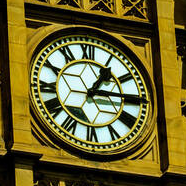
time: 1:14
